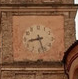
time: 8:27
